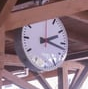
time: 2:17
